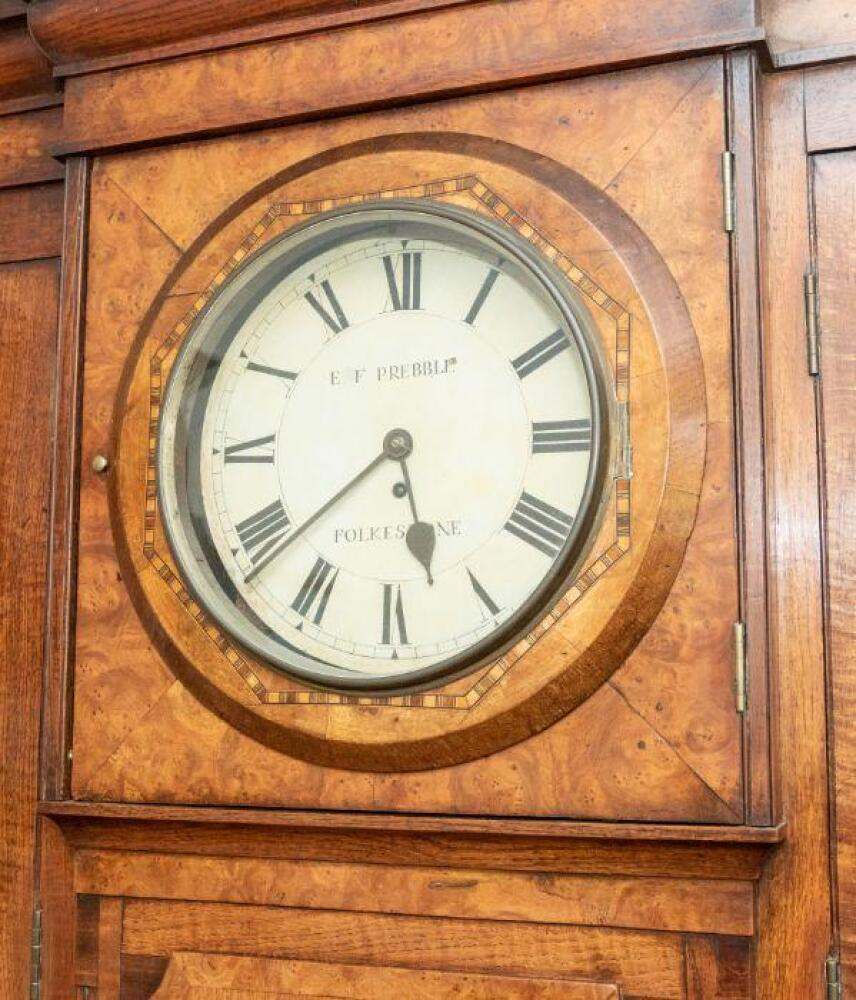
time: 5:38
